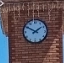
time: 1:50
